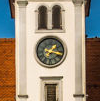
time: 1:17
